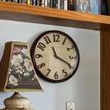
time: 11:19
